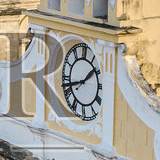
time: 1:42
